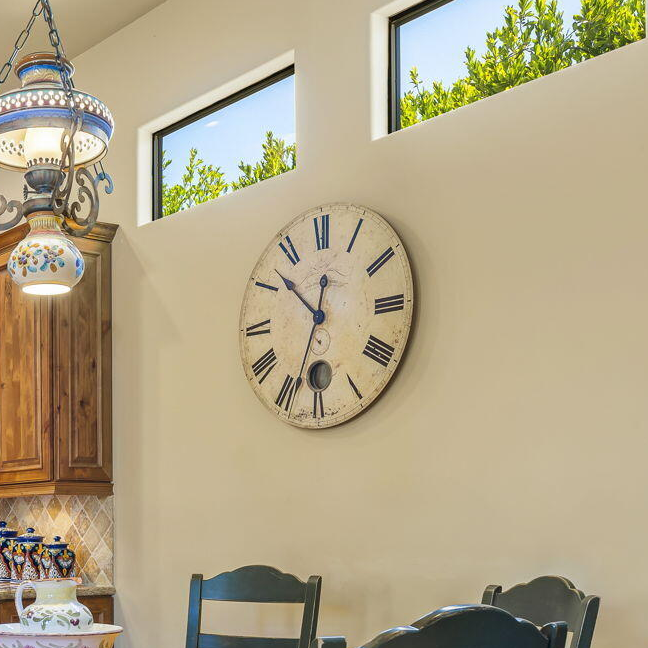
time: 10:33
